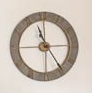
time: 11:24
